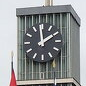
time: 1:59
